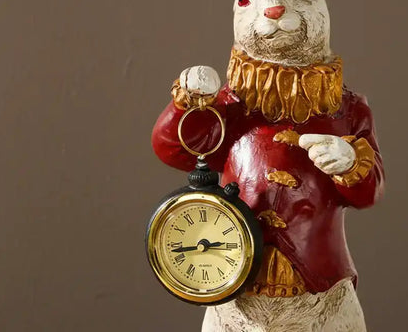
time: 2:42
